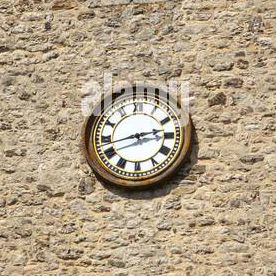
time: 2:42
